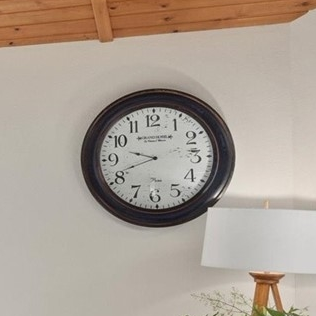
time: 9:41
